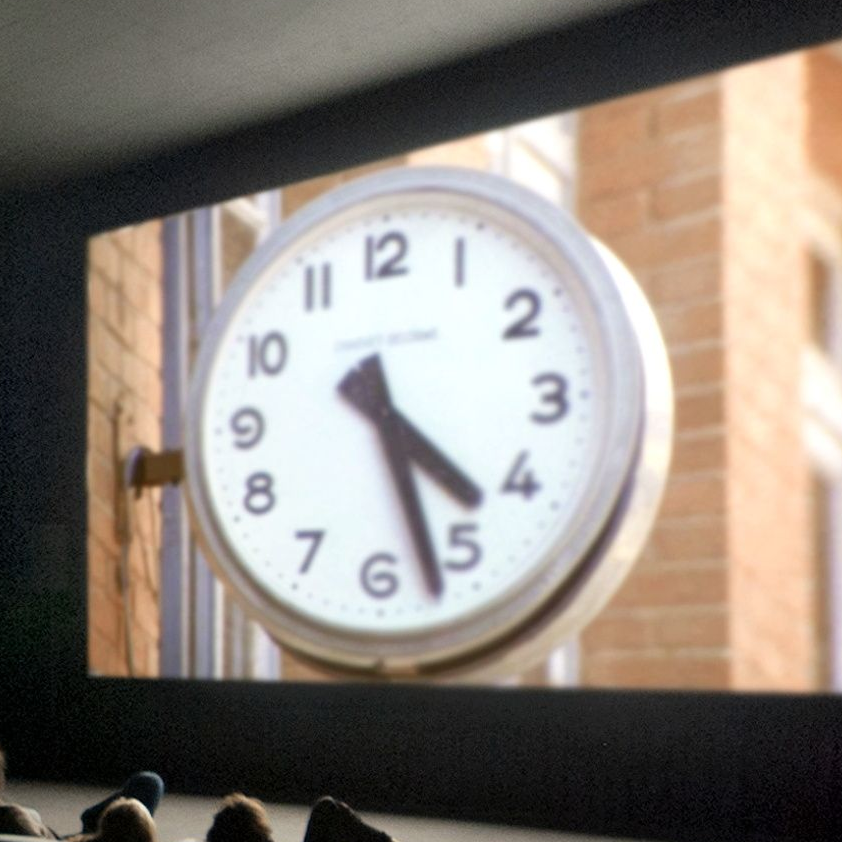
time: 4:27
